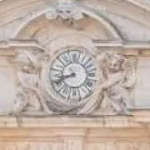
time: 8:40
